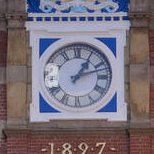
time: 1:11
